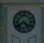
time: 4:39
